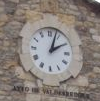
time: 2:03
